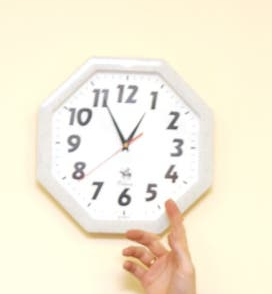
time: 12:55
